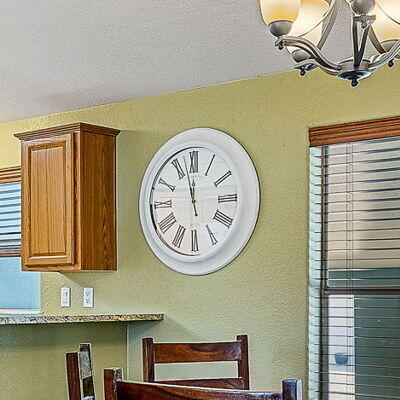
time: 11:57
